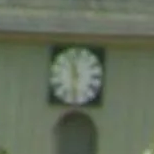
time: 11:31
